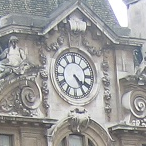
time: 4:24
